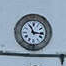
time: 11:16
